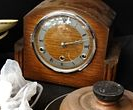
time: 2:12
